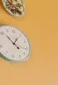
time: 12:51
